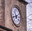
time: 6:40
